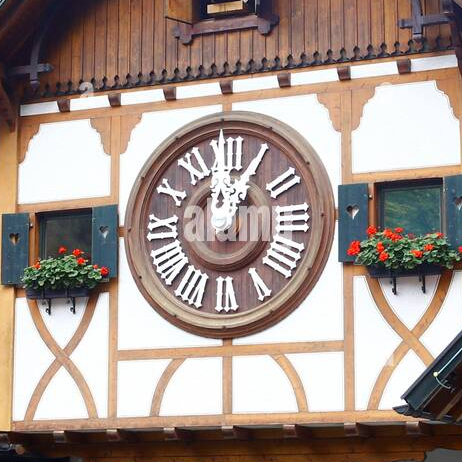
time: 12:04
